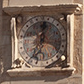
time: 12:34
